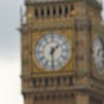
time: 1:29
